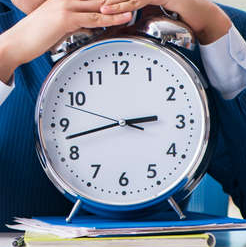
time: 2:42
